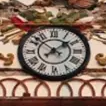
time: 1:52
